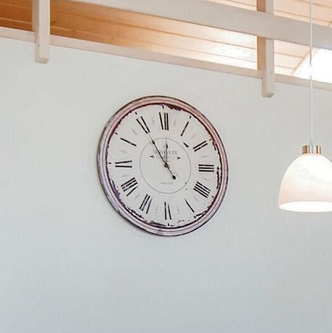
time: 11:54
